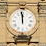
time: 11:58
